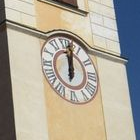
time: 12:02
